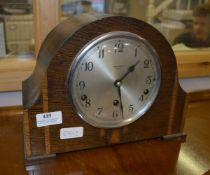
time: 1:27
